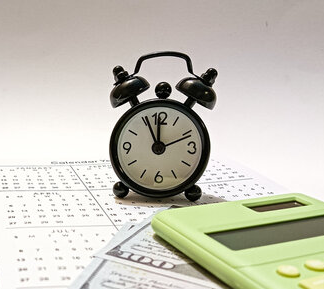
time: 11:55
